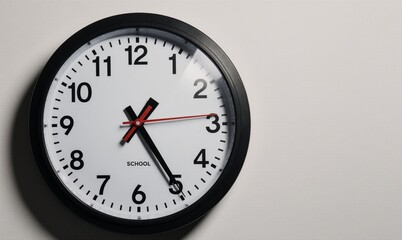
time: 1:24
